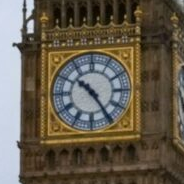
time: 10:24
